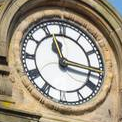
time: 11:16
